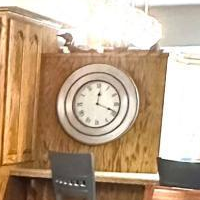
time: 12:18
